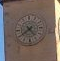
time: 4:38
